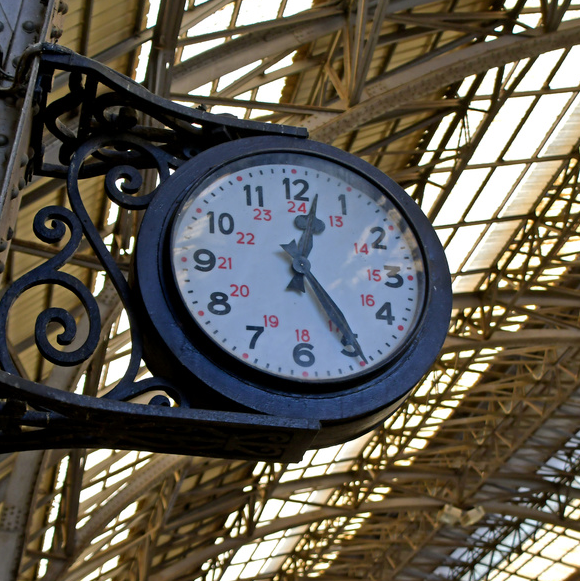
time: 12:24
